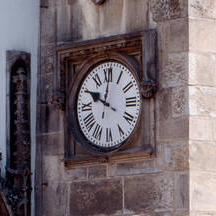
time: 10:00
